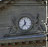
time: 11:37
